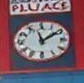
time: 1:57
